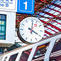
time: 4:02
